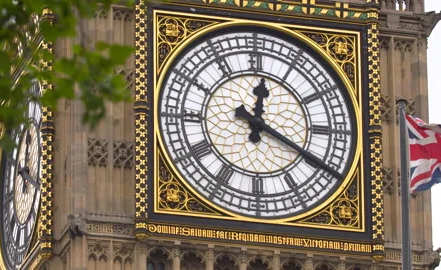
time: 12:19
